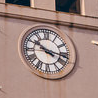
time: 10:17
